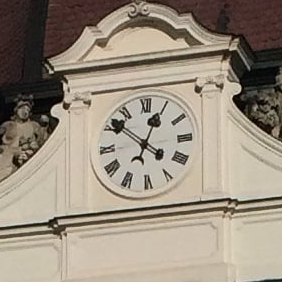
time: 12:51
